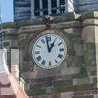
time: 12:58
